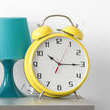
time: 10:15
